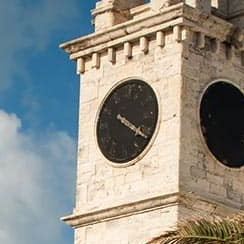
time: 4:21
